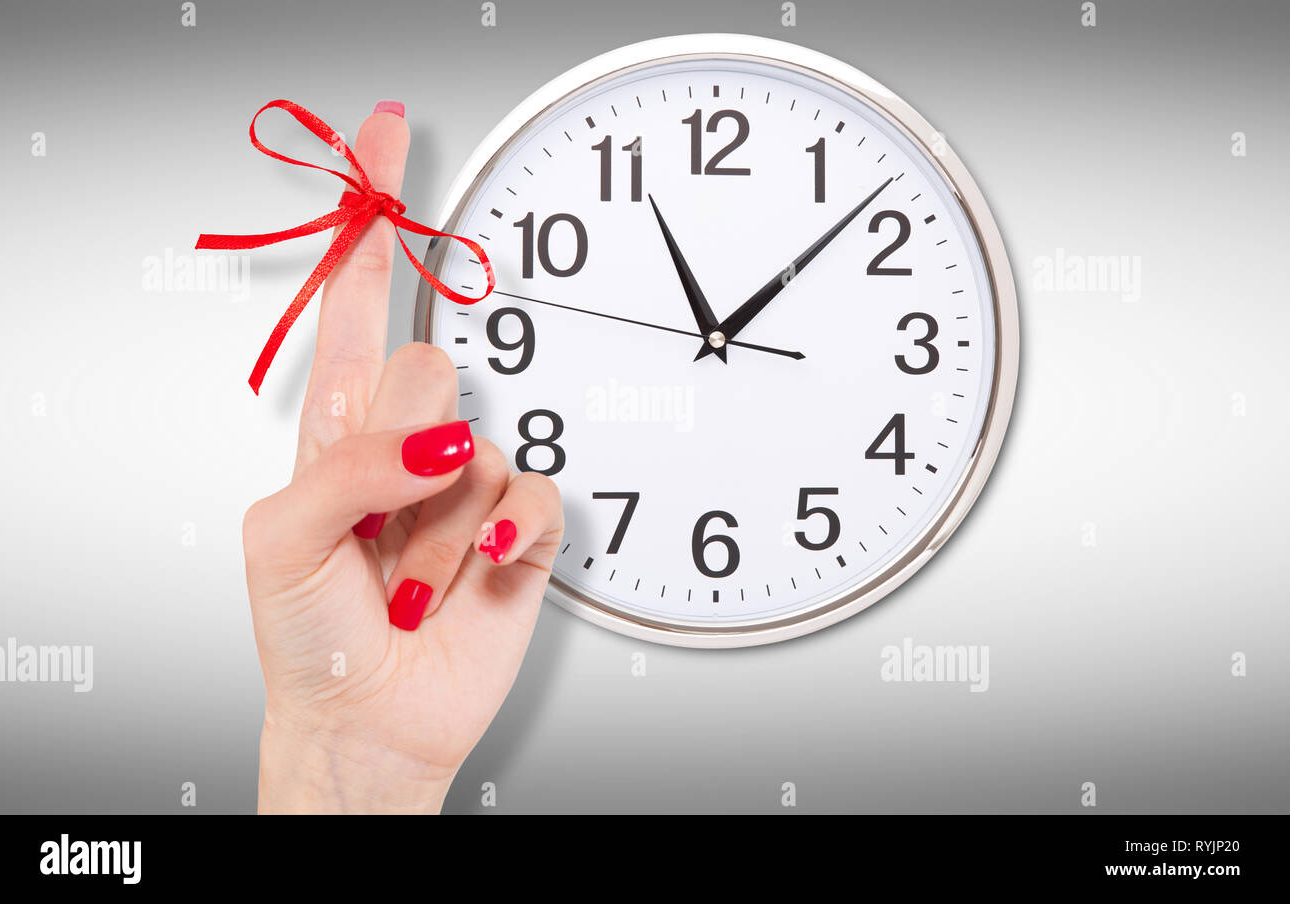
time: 11:07
